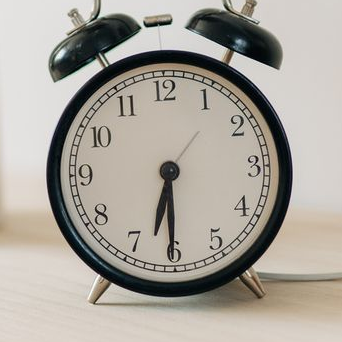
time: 6:30
